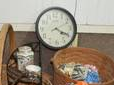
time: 4:19
